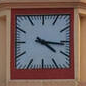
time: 4:16
